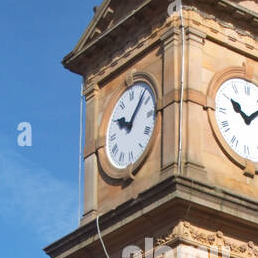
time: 10:07
